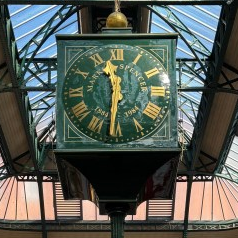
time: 11:31
